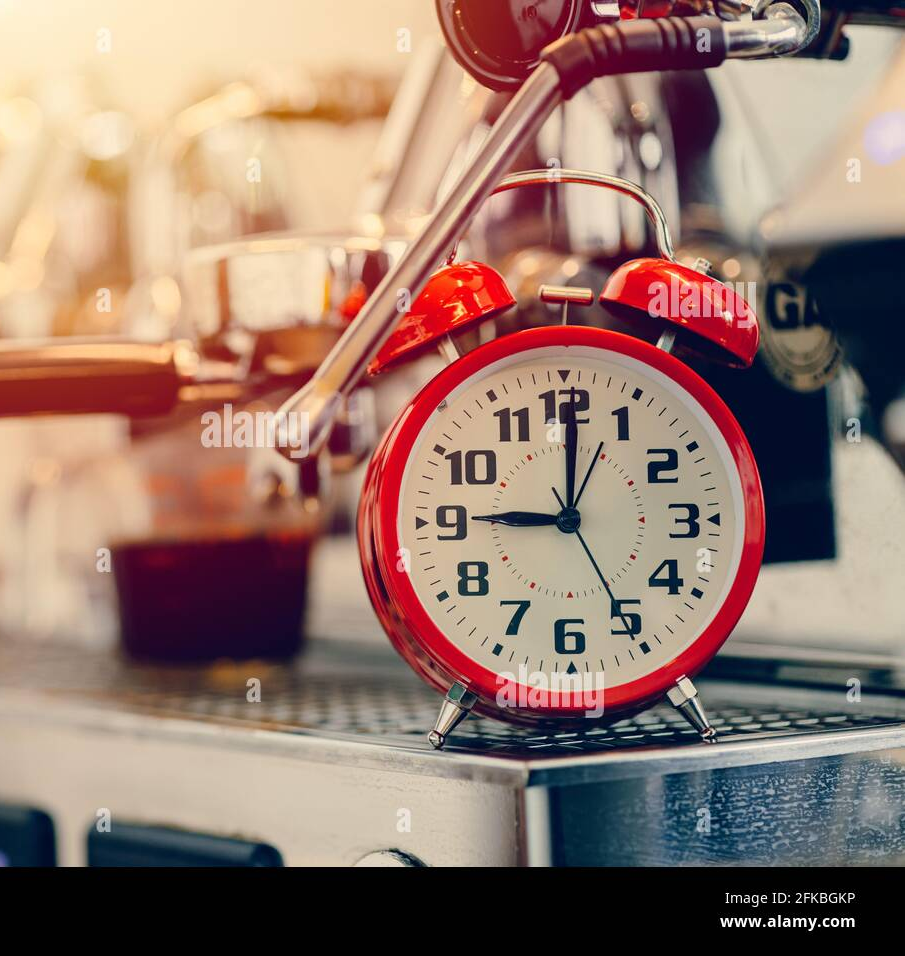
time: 9:00
